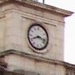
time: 8:17
